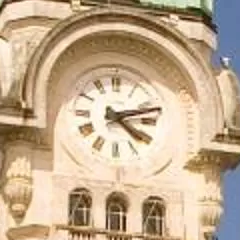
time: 4:12
